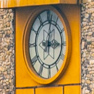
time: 3:01
